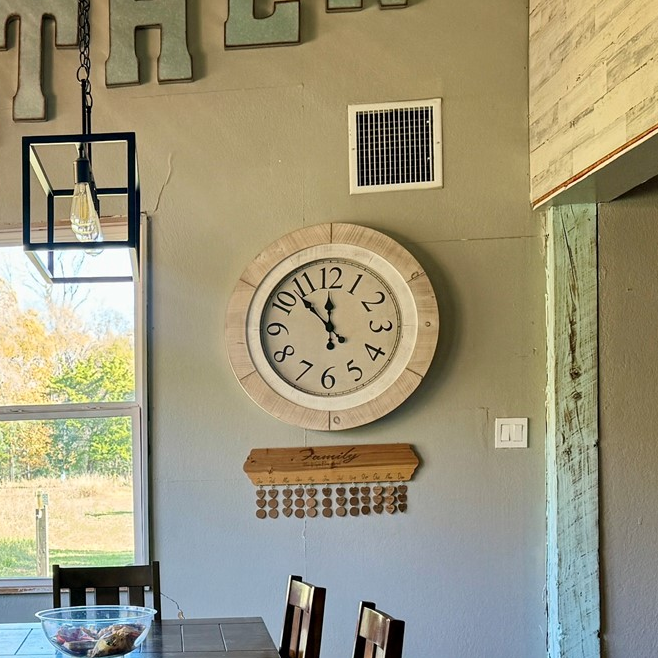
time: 11:52
